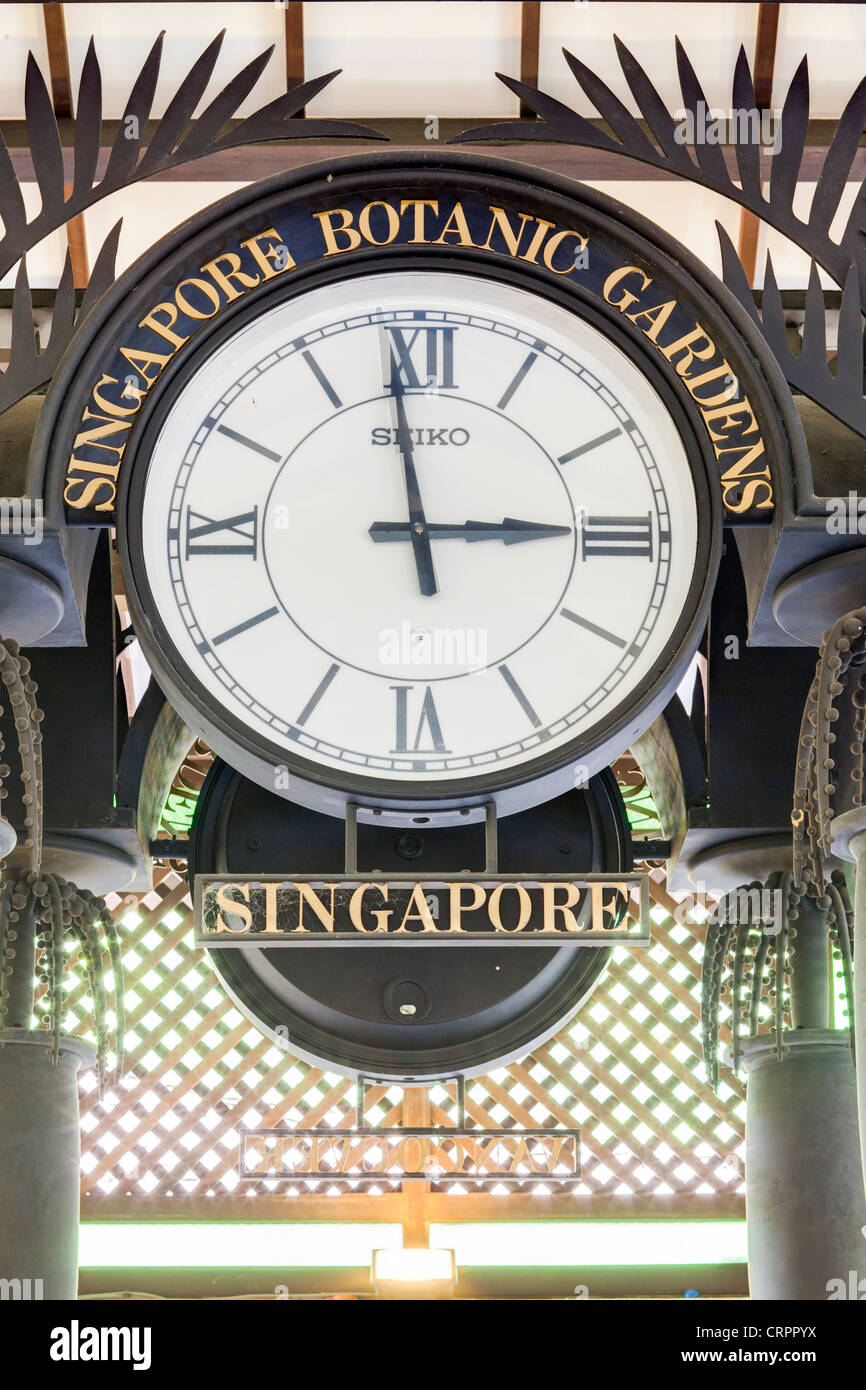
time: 2:58
